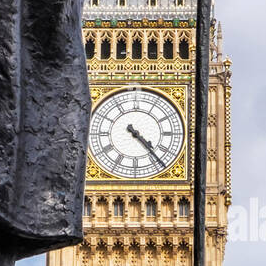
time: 4:23
